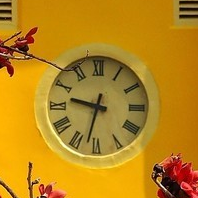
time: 9:32
